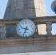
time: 9:33
